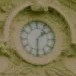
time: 1:30
